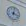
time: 4:02
